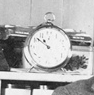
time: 10:51
